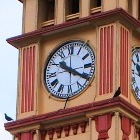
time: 10:20
